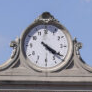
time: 4:20
